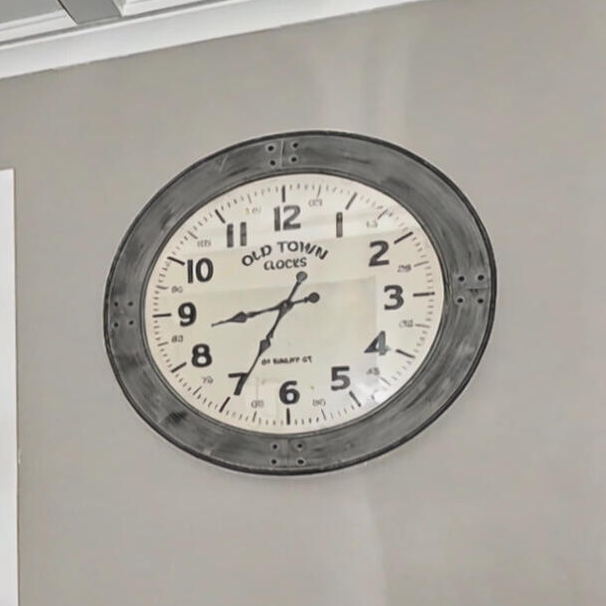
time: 8:34
